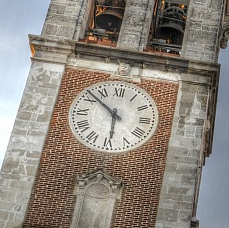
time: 5:51
